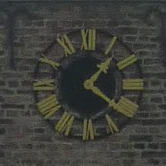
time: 1:21
